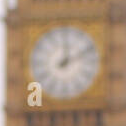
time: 12:11
